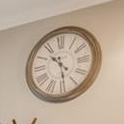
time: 10:28
